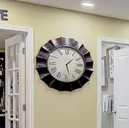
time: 1:27
